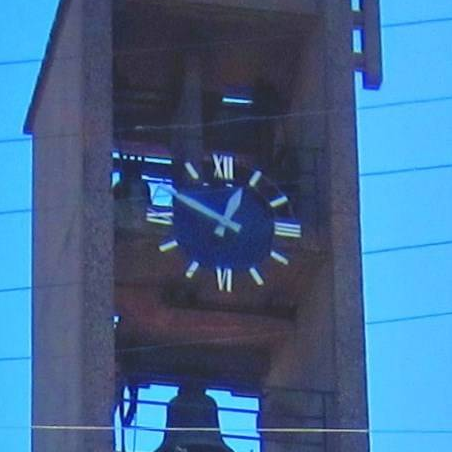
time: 12:49
